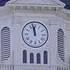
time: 11:57
